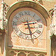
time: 2:27
